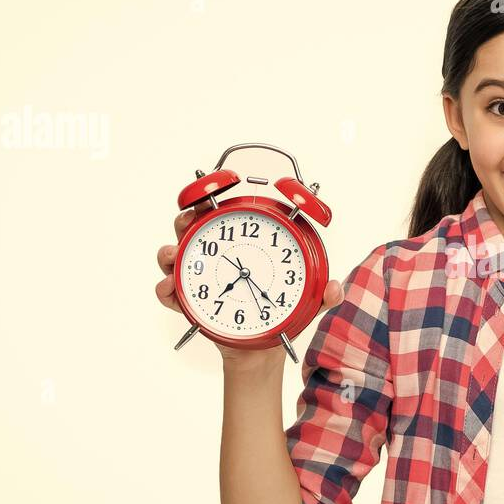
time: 7:21
